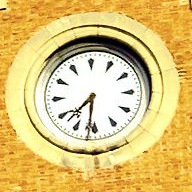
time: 7:31
